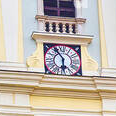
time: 5:54
